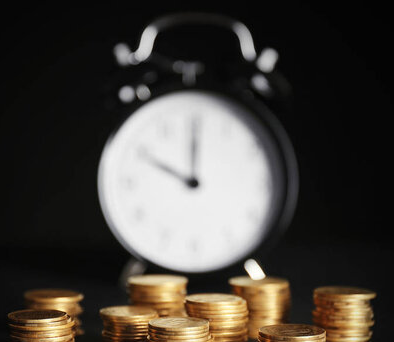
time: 10:00
